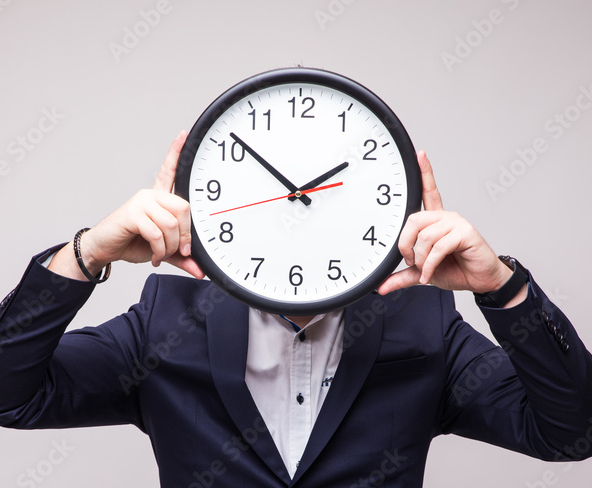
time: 1:51
